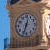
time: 12:33
